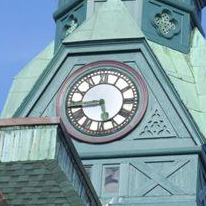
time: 5:43
